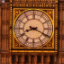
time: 8:19
